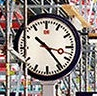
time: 10:23
